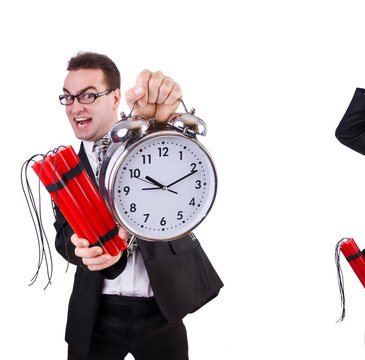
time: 10:11
